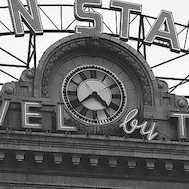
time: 4:38
